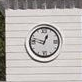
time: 12:47
